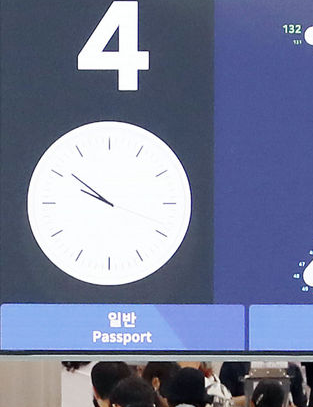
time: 9:51
